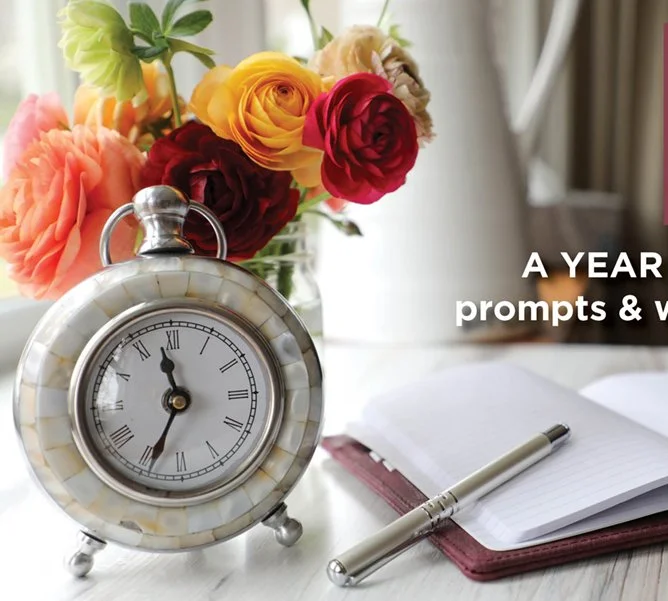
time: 11:34
